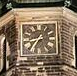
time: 8:35
